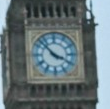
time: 3:52
